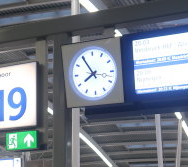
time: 7:54
